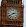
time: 2:40
